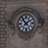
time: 1:53
